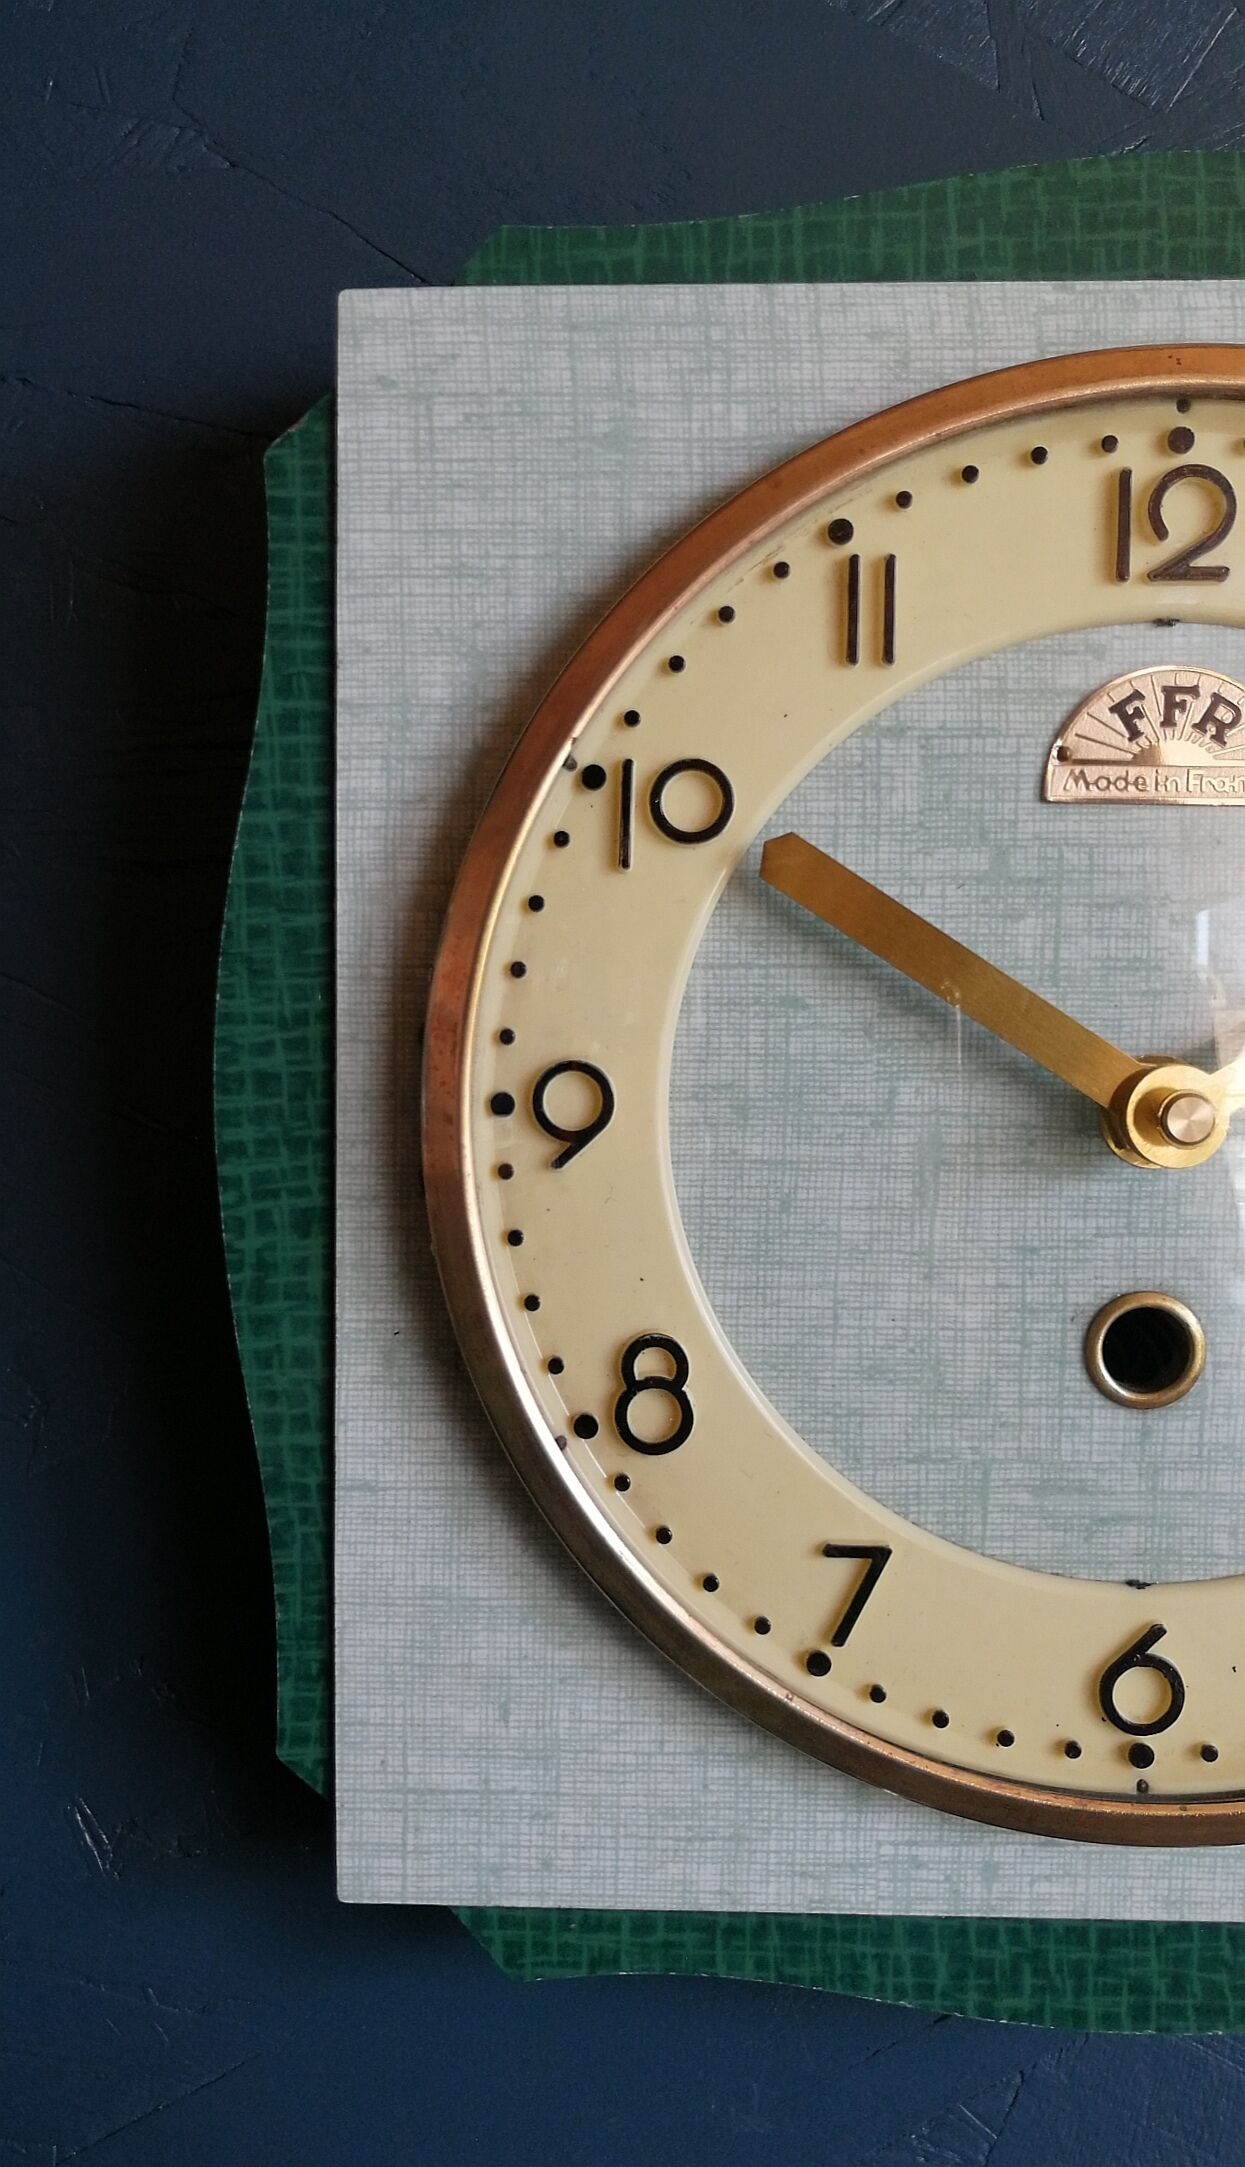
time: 9:50
